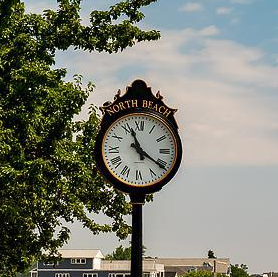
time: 11:20
